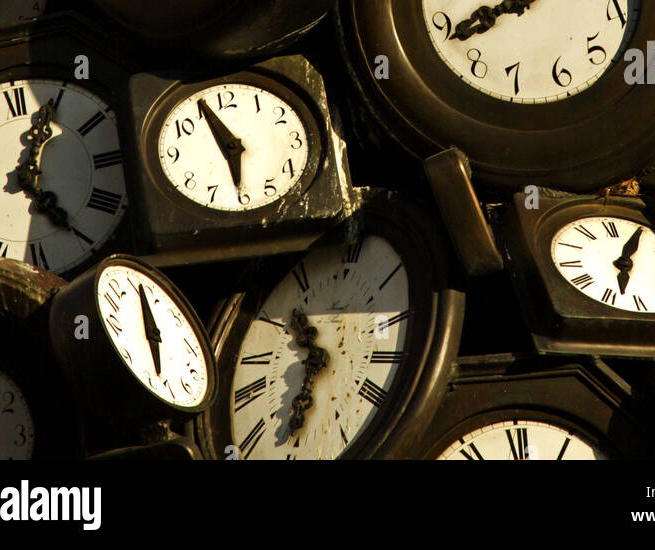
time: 10:30
